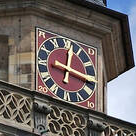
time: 12:16
